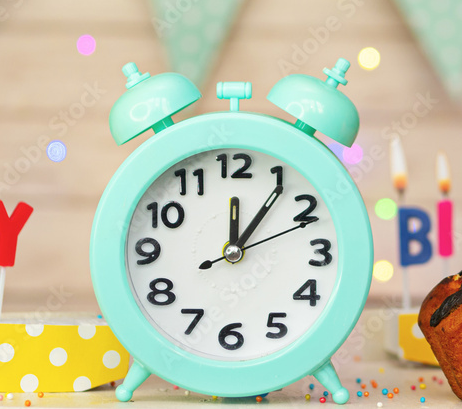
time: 12:06
